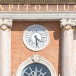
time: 4:28
